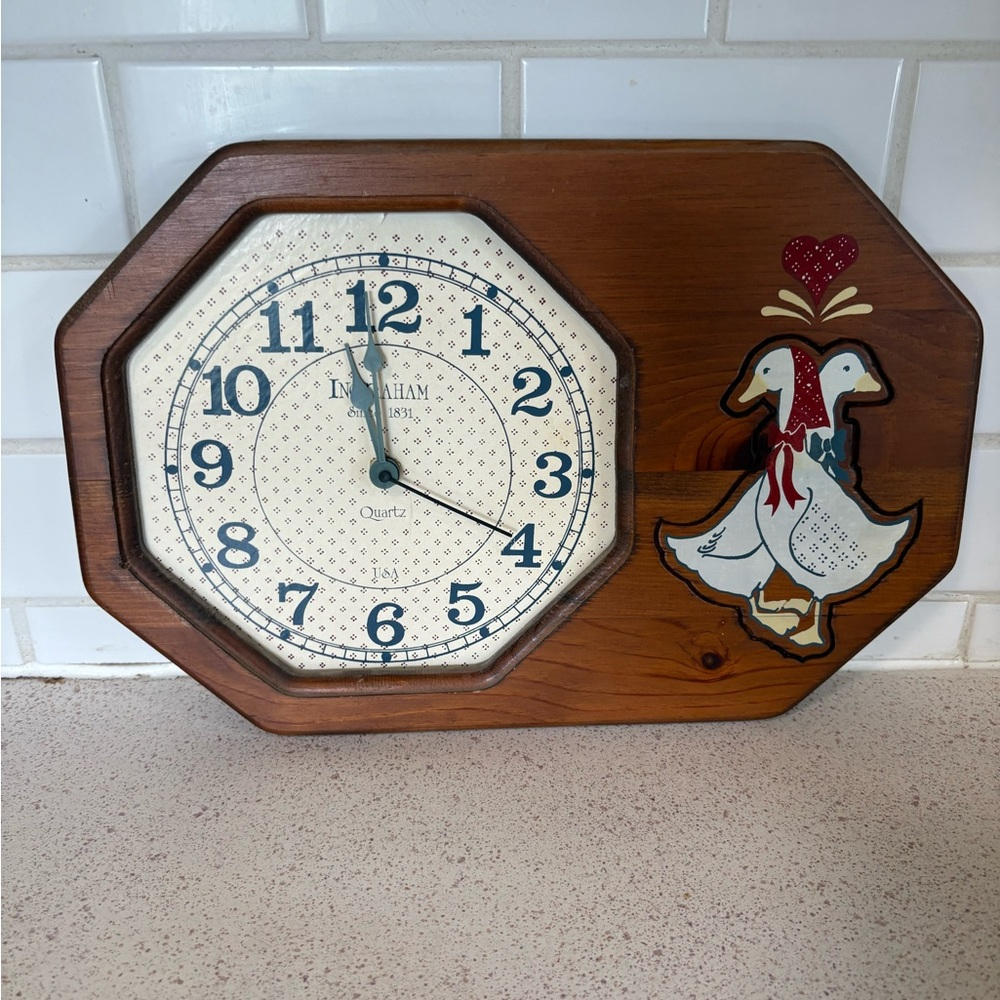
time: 3:58
